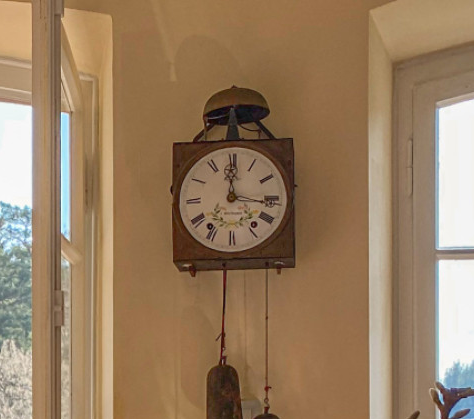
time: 12:16
